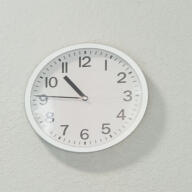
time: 10:45
